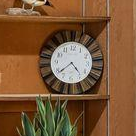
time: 4:38
